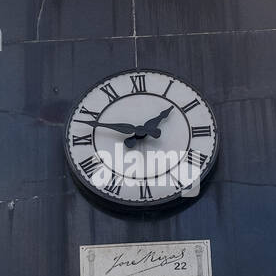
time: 1:47
